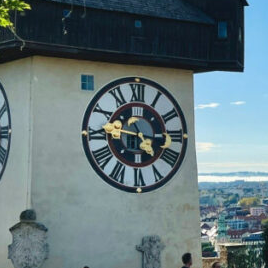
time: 4:46
